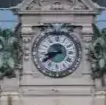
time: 8:39
